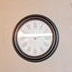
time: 9:14
